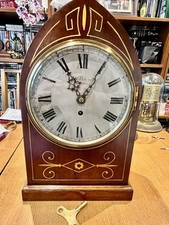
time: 11:05
